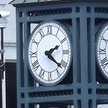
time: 2:21
